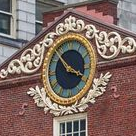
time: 3:52
